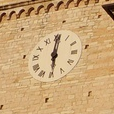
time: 6:00
